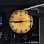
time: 8:45
